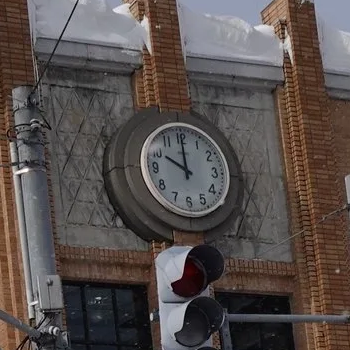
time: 10:00
